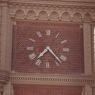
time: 7:23
